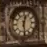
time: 12:28
